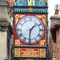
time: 1:30
